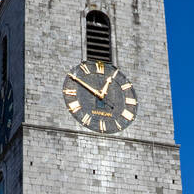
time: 12:50
